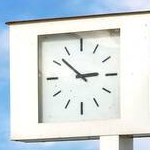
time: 2:52
